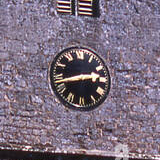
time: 2:42
